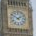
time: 1:50
